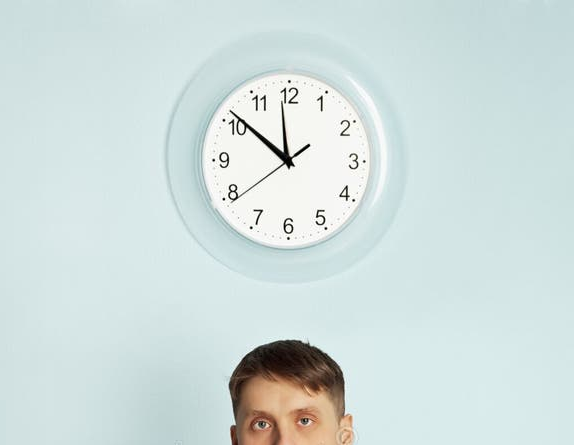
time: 11:51
